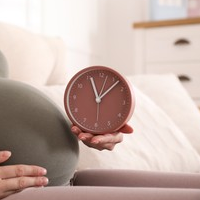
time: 11:07
